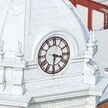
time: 3:30
